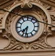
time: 7:32
